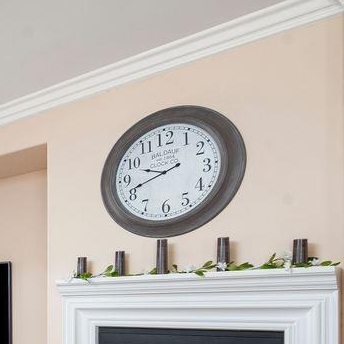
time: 9:41
